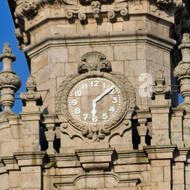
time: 6:08
